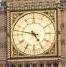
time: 4:47
